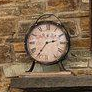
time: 2:35
